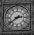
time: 2:38
